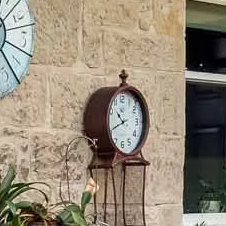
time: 10:41
